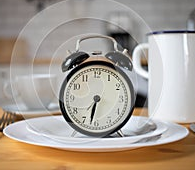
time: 6:32
